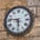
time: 5:46
